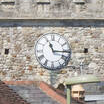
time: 11:15
